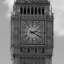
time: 2:19
